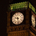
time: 9:28
